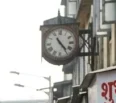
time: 4:23
